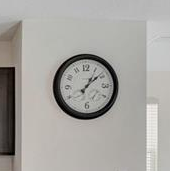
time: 1:08
